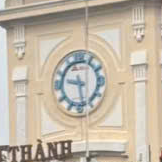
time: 9:28
